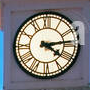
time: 4:13
